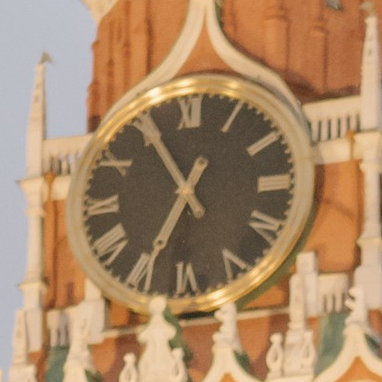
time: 6:54
